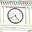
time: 4:40
